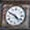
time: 4:49
